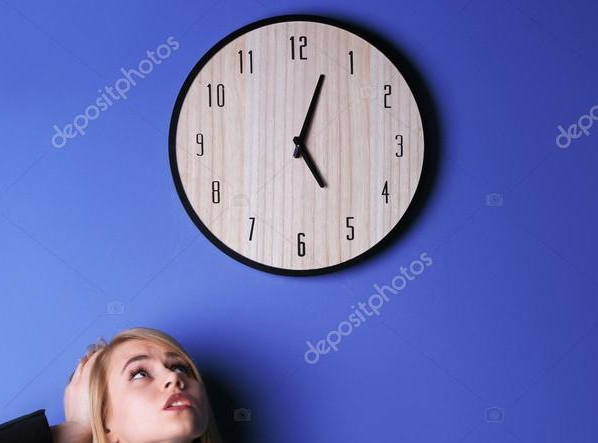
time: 5:03
